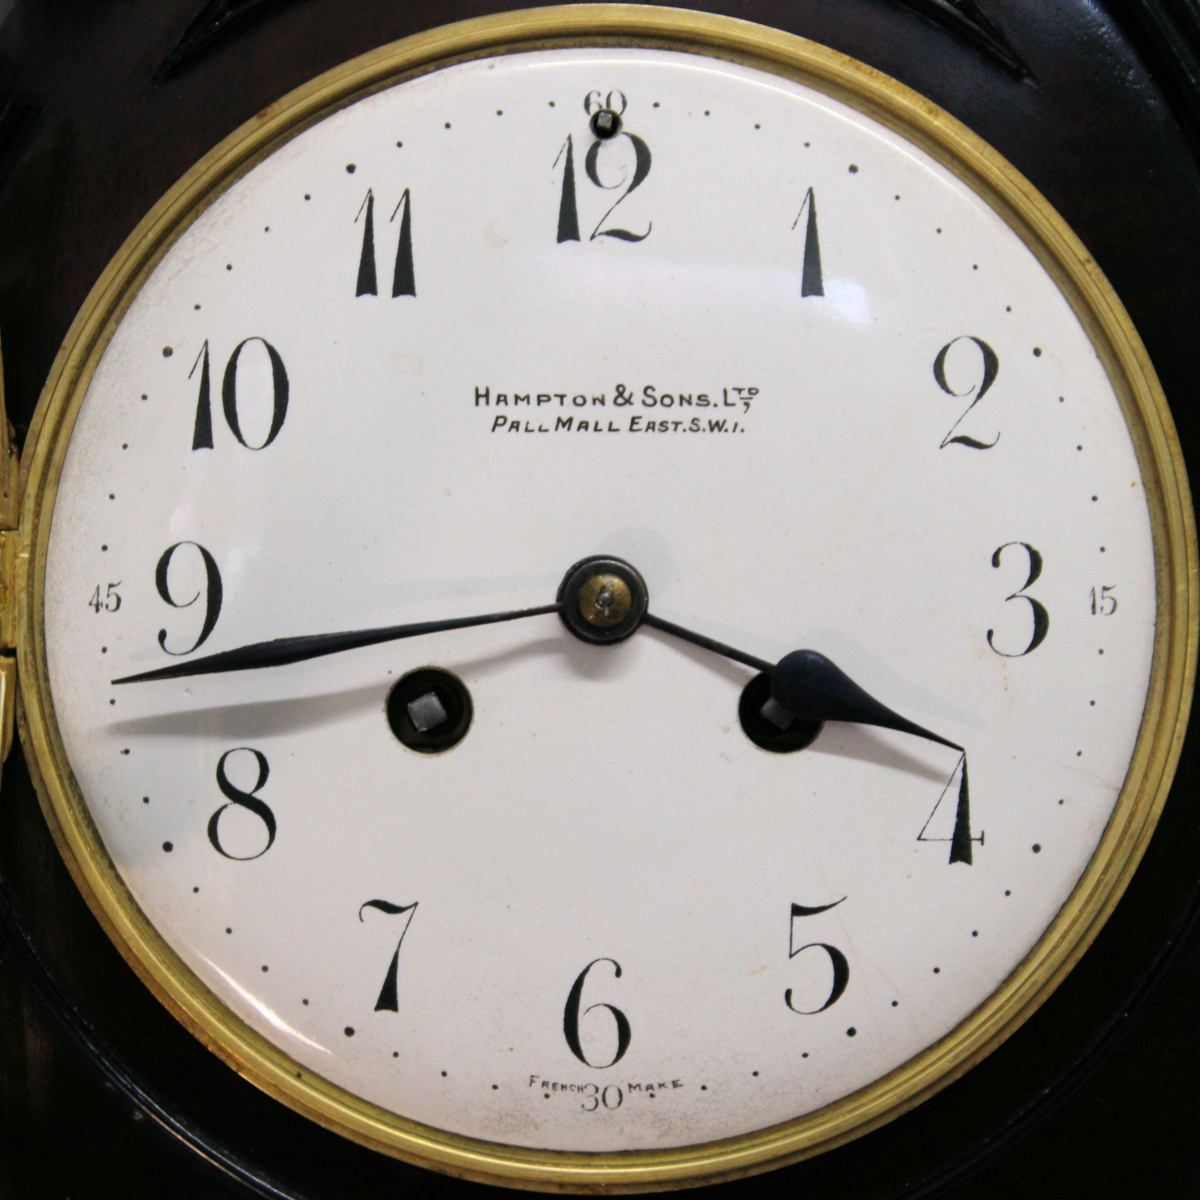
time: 3:43
